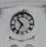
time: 10:35
